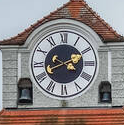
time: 9:41
